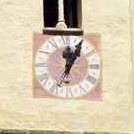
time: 1:05
